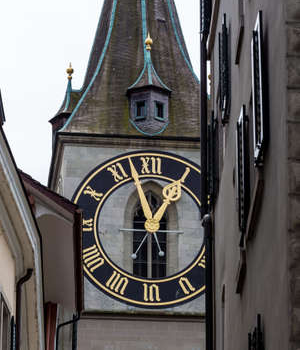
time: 12:57
